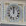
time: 11:59
